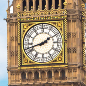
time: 1:42
